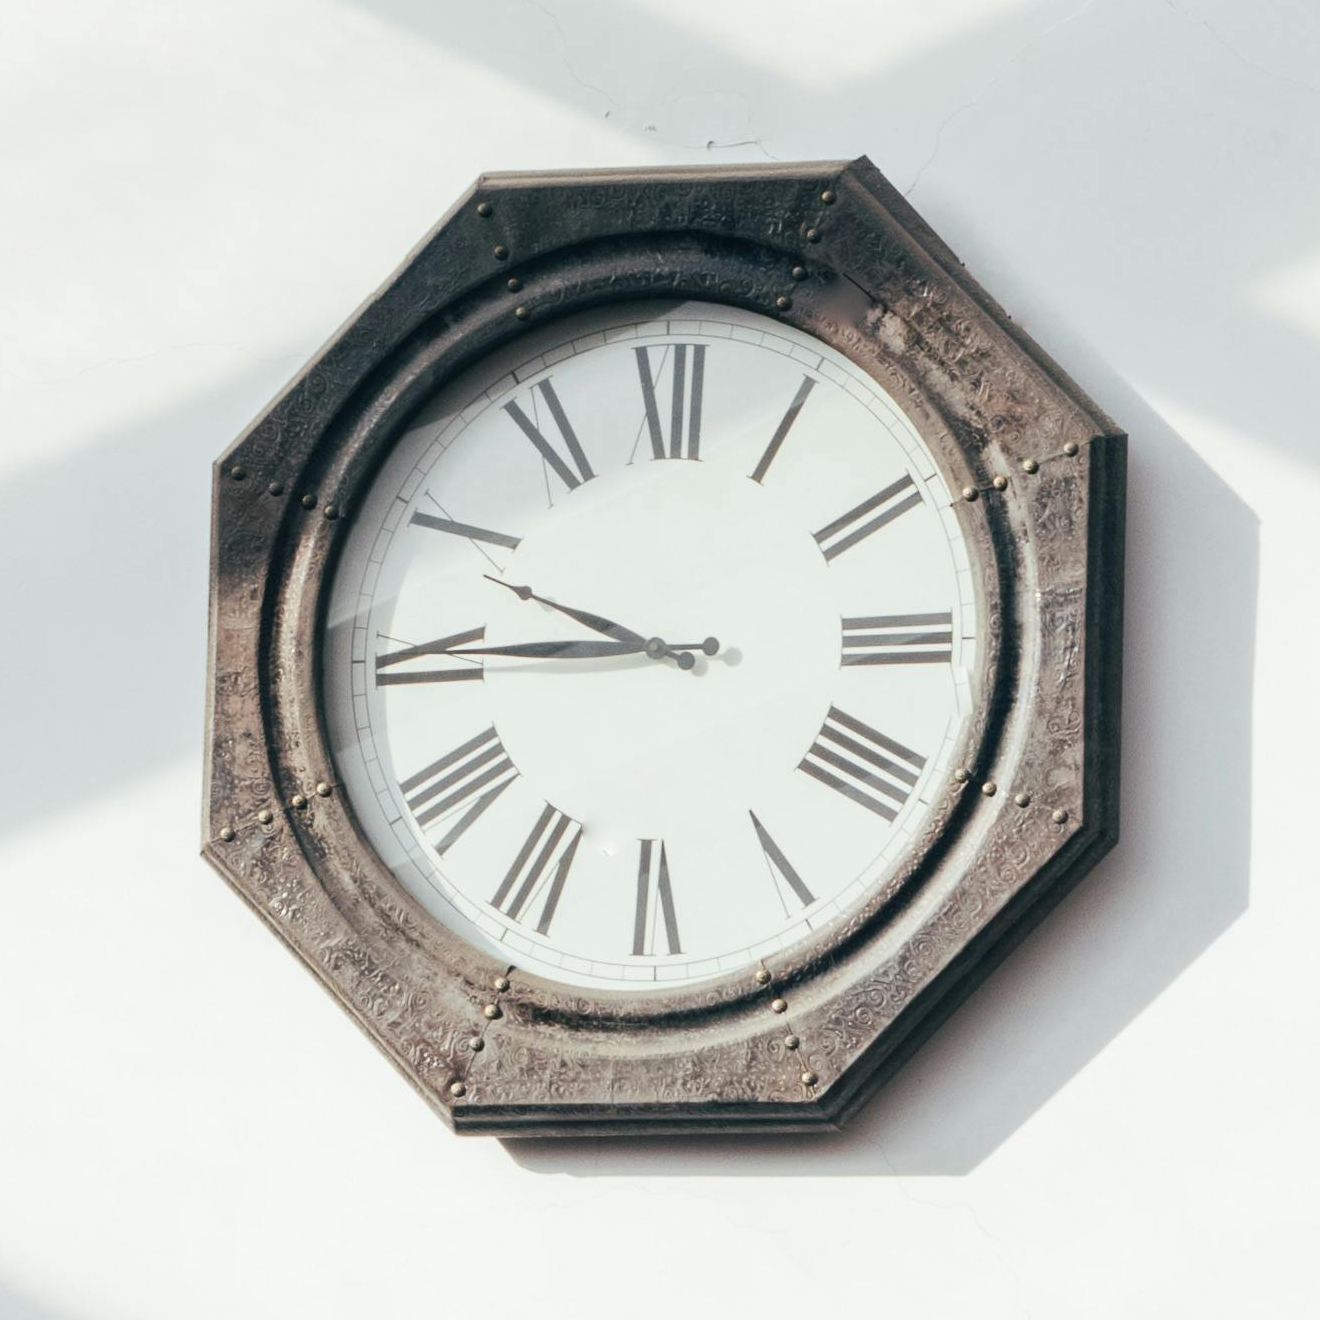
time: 9:44
